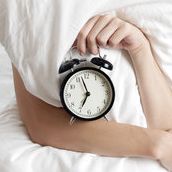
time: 6:57
